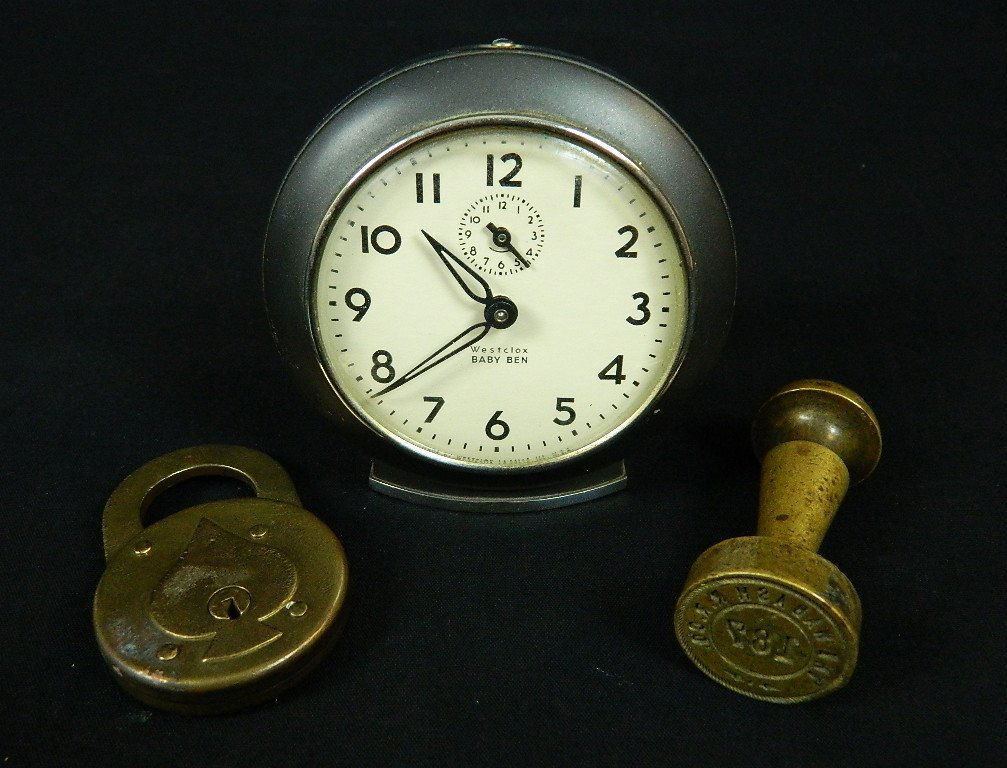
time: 10:38
